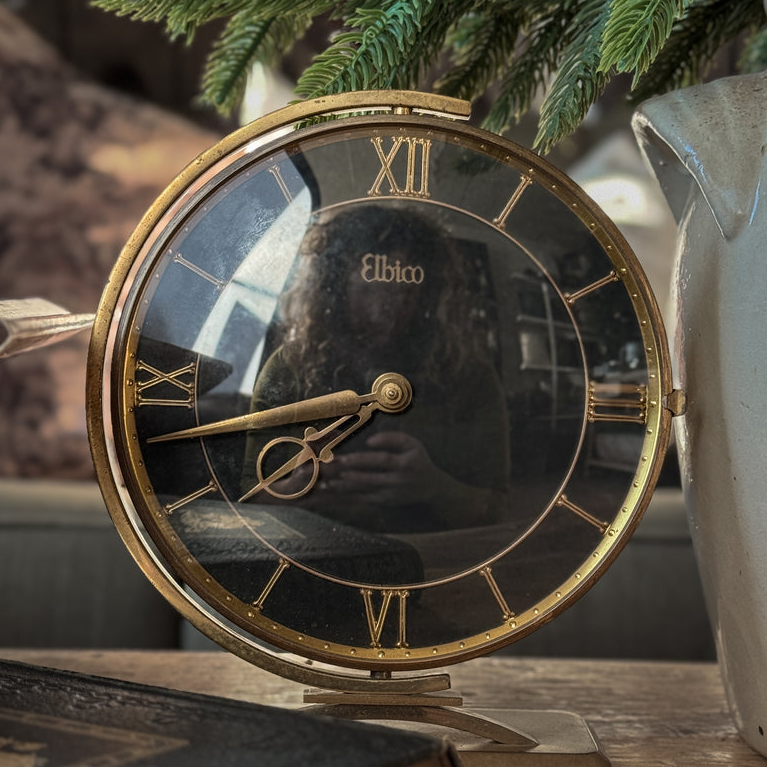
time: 7:43
